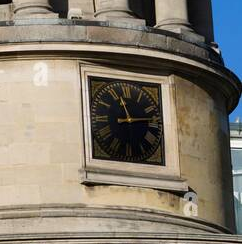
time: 11:13
